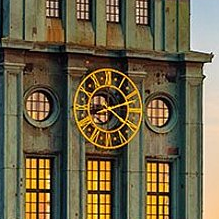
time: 8:20
